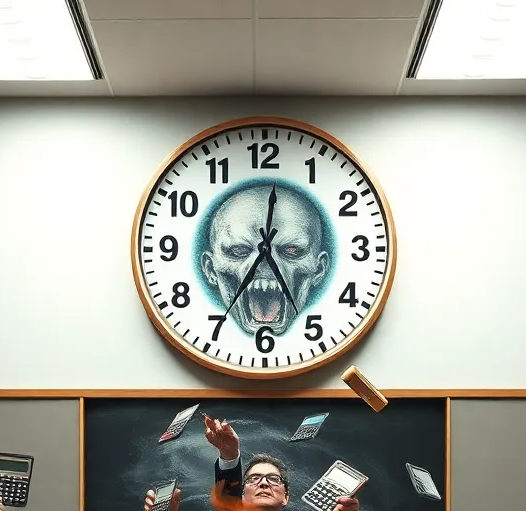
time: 5:01
